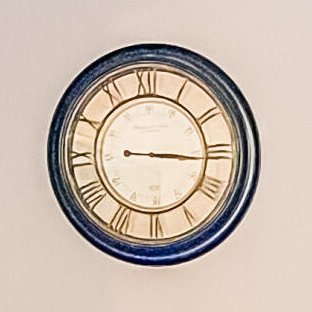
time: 3:15
